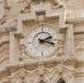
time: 2:18
